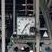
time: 1:35
